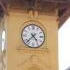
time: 4:37
